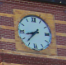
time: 8:37
